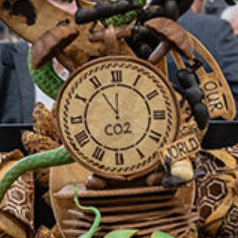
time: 11:54
